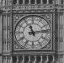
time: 11:13
